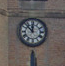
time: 11:52
